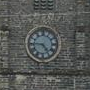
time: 4:45
